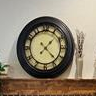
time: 1:22
